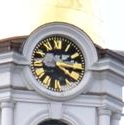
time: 4:16
